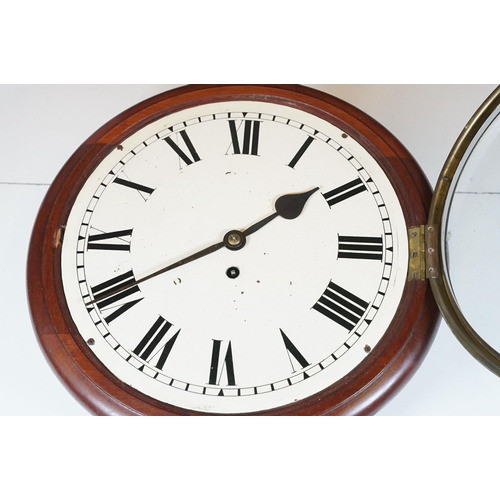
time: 1:40
